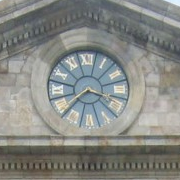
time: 3:37
